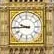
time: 9:44
